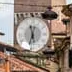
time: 11:32
